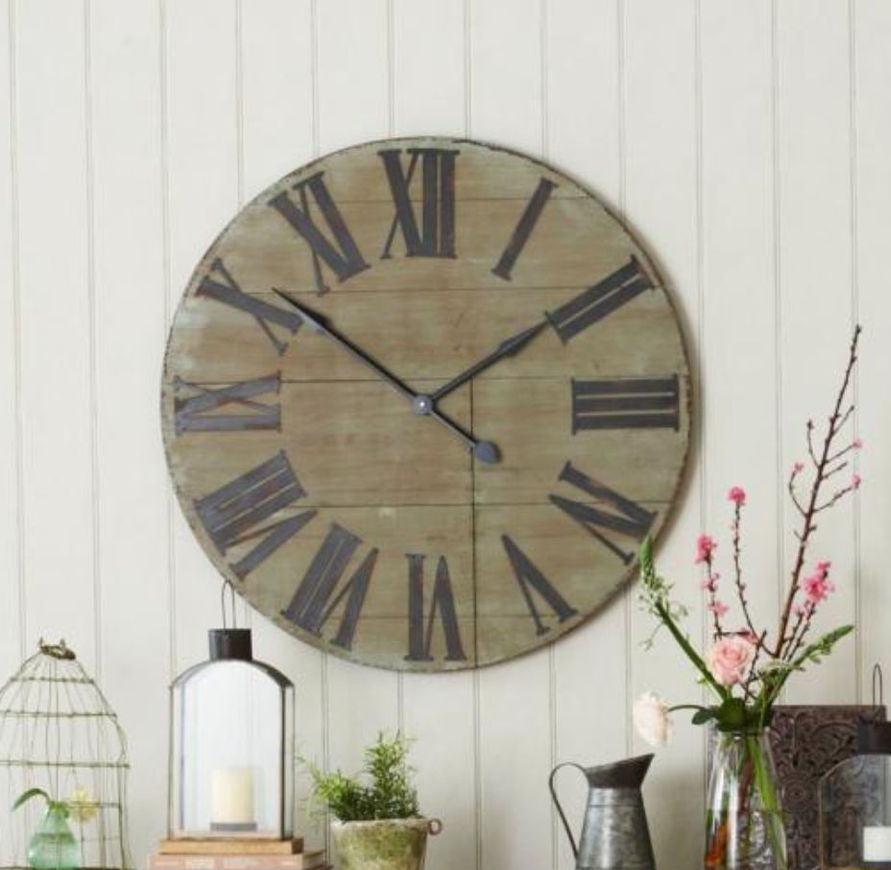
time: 1:51
